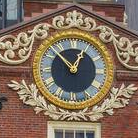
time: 12:52
